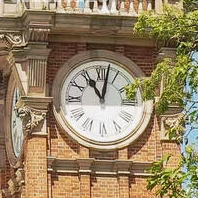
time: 11:02
